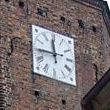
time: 11:44
